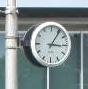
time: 3:05
